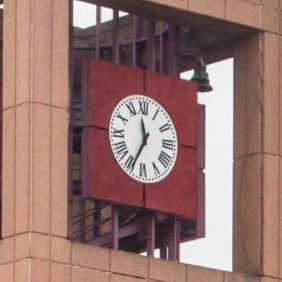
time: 11:35
